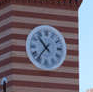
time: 10:36
